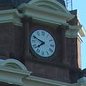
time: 7:48
